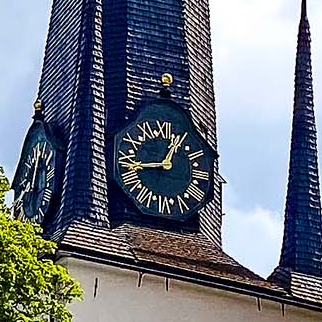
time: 12:43
